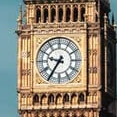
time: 9:35
